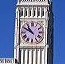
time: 10:50
